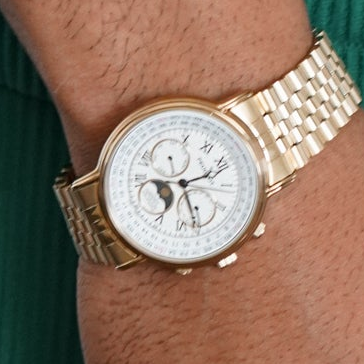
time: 5:11
